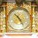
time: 4:52
